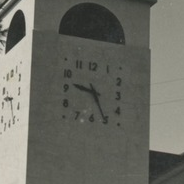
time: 9:25
